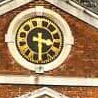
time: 3:29
